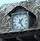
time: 1:26
